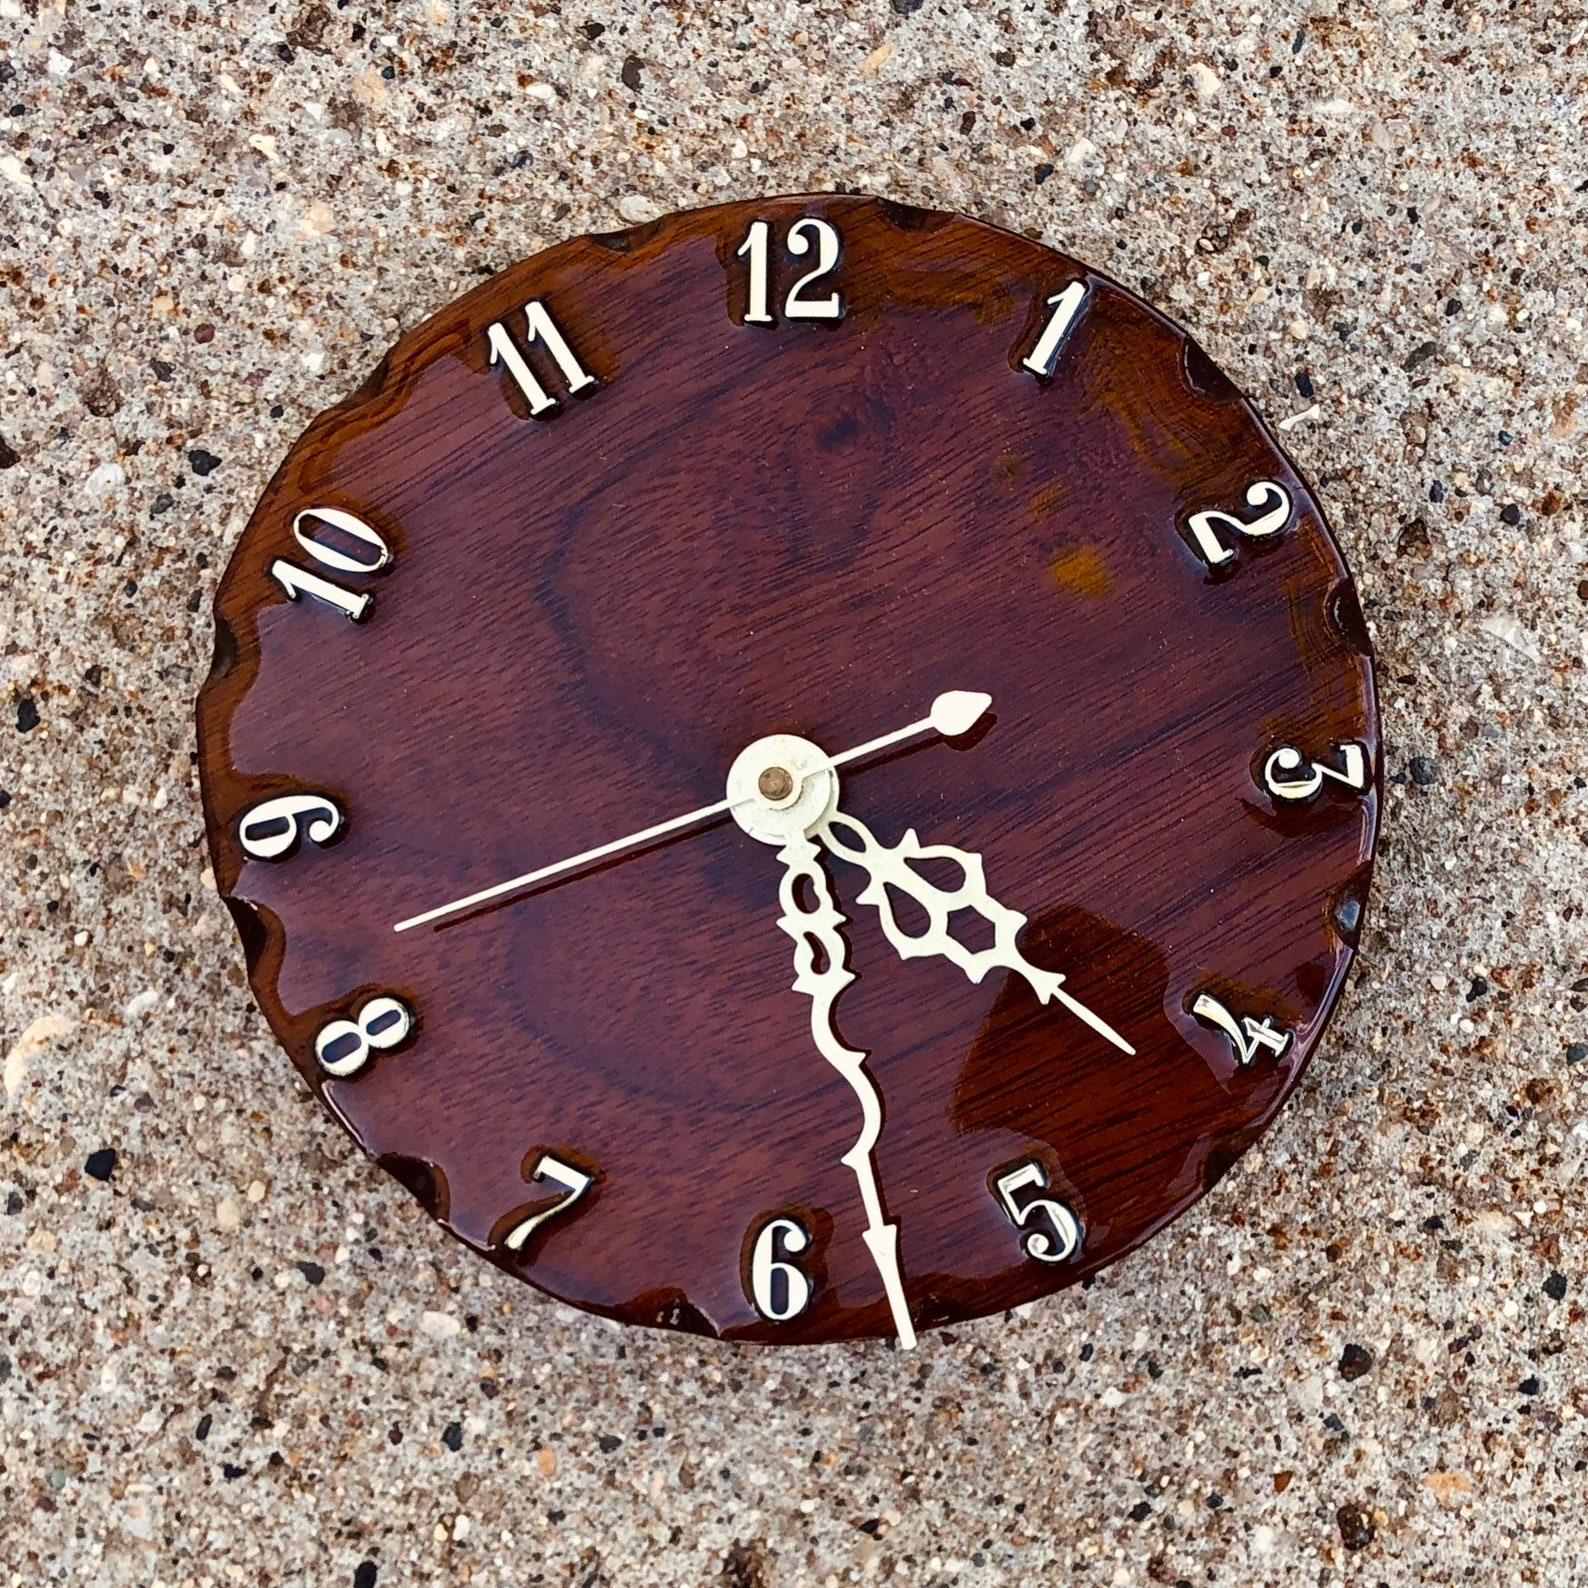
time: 5:20
